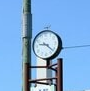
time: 9:22
